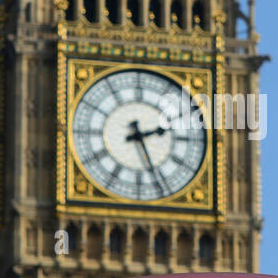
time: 2:26
